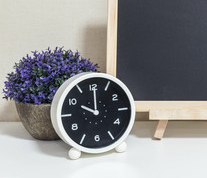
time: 10:00
